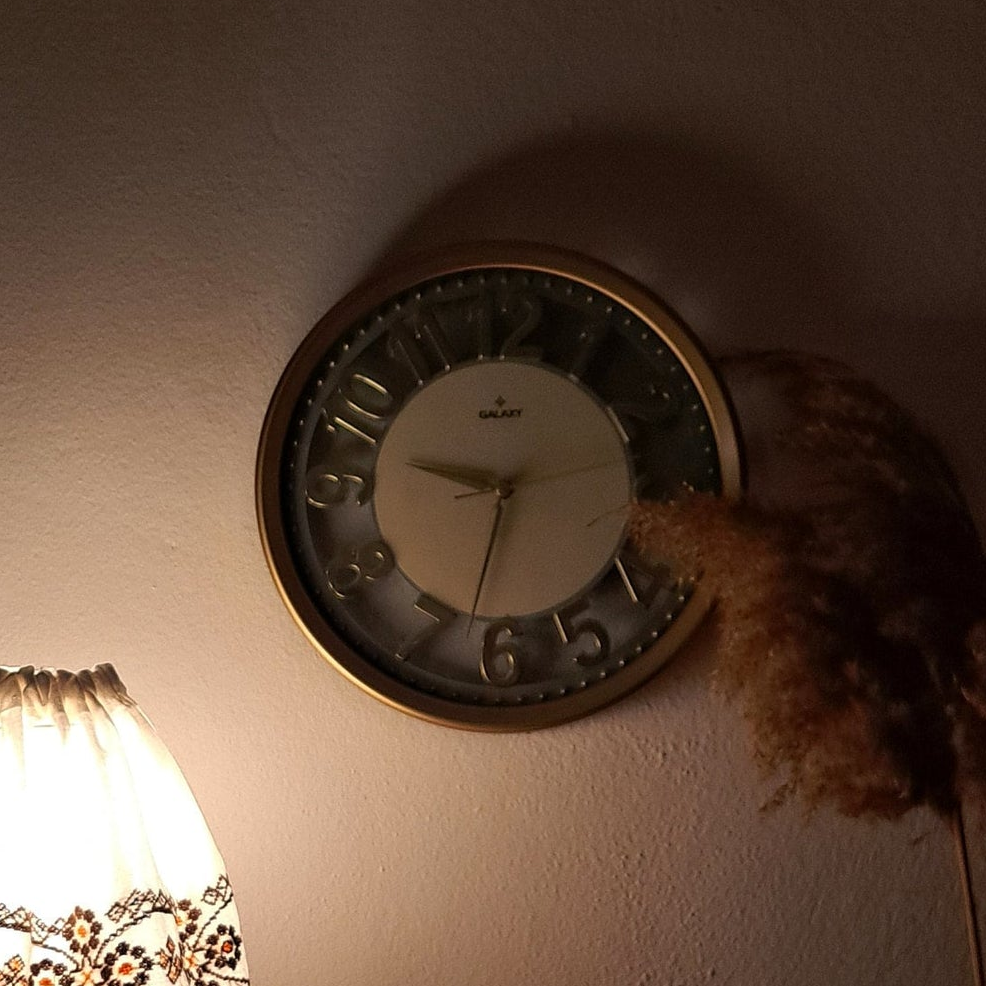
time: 9:32
